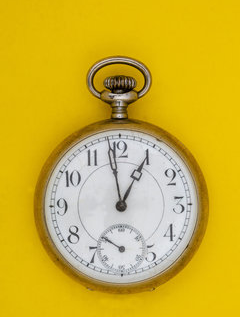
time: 12:58
